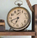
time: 6:41
